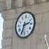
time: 2:33
